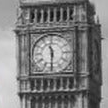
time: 11:30
